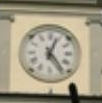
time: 12:23
